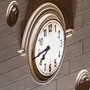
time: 7:43
